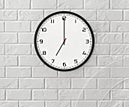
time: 7:00
